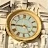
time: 4:45
